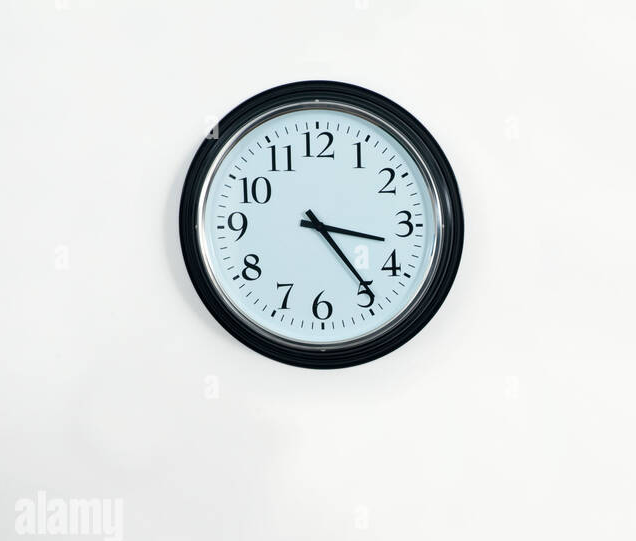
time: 3:23
